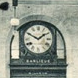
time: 1:49
